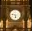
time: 5:46
